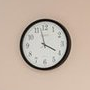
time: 3:57
